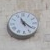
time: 11:21
